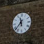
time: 11:37
